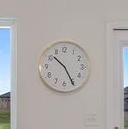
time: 10:25
